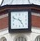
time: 4:48
